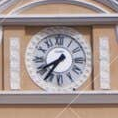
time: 7:35
